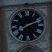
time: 8:11
